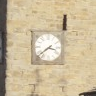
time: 3:38
